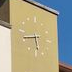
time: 5:42
